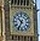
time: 10:34
